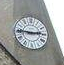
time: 2:45
